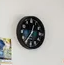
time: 12:36
